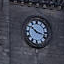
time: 10:17
